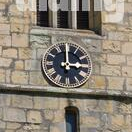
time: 2:59
